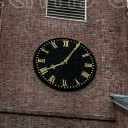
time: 8:05
